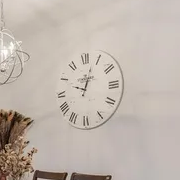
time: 10:03
